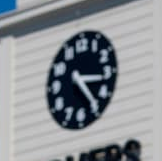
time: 3:23
